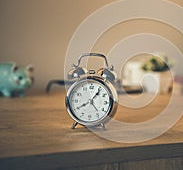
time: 8:06
